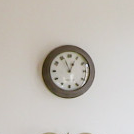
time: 12:56
